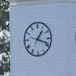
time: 1:18
